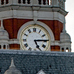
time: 5:14
